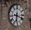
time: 6:18
